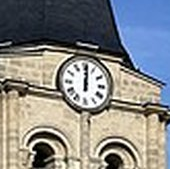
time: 12:01
